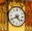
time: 4:40
